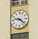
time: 9:22
